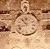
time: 10:42
